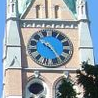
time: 10:24
